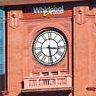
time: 3:28
